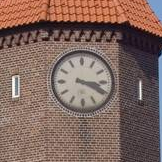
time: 3:19
